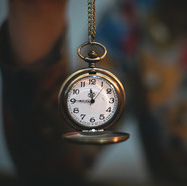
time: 11:45
